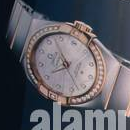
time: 8:26
